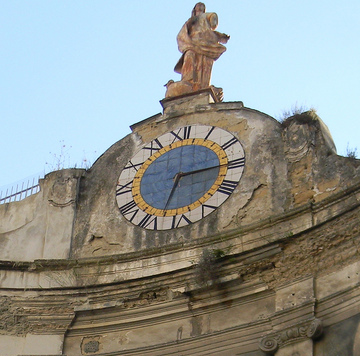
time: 6:15
